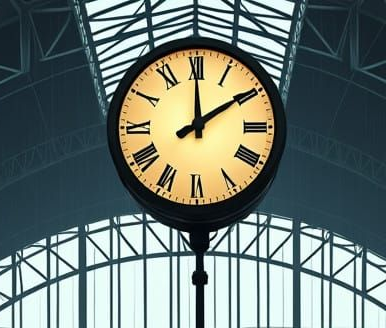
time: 2:00
